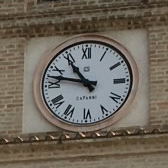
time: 10:47
